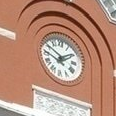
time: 1:50
